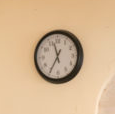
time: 11:34
